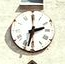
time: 2:32
